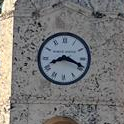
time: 8:18
